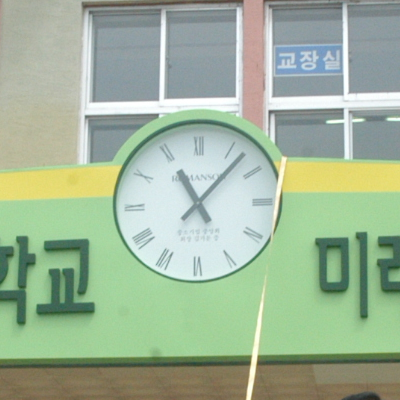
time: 11:07
